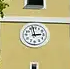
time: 2:58
